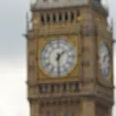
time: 1:29
